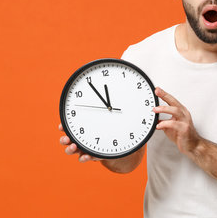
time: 11:54
